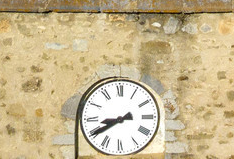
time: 8:40
